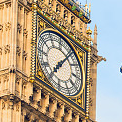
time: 7:06
